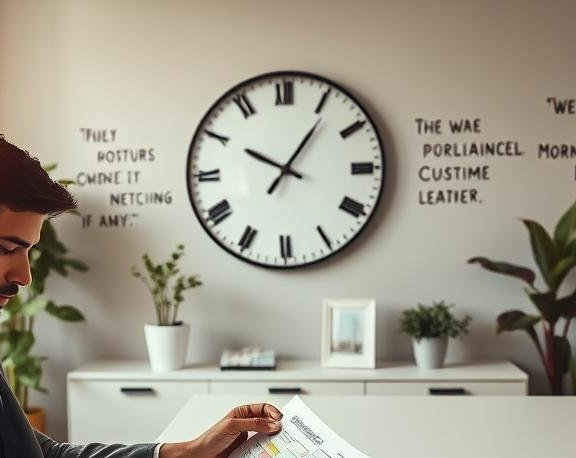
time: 10:05
